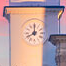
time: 7:59
